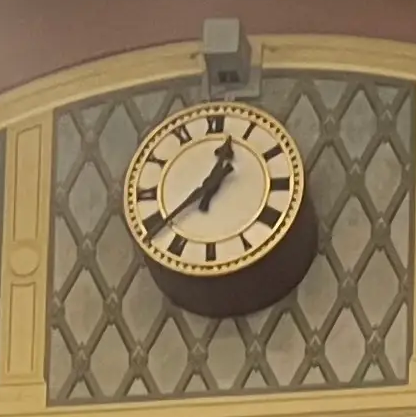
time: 12:38
